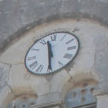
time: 11:29
